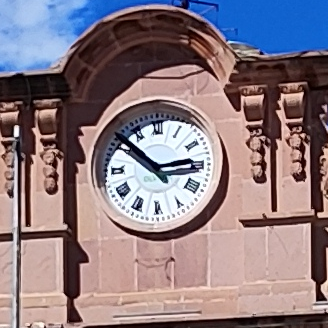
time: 2:51
